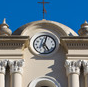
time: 5:01
